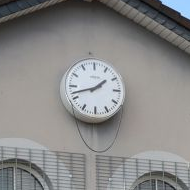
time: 1:42
